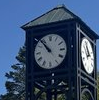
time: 10:53
